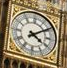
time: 4:09
